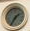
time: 1:35
